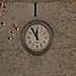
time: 11:54
